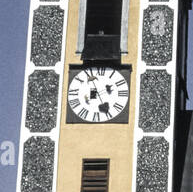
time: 7:24
